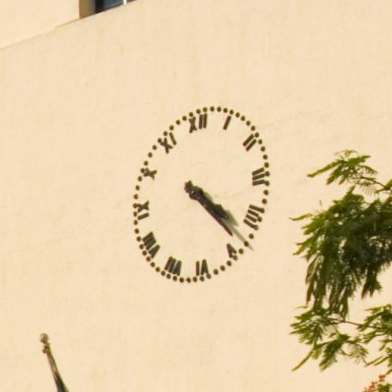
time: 4:23
